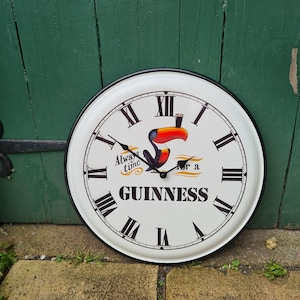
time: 10:50
